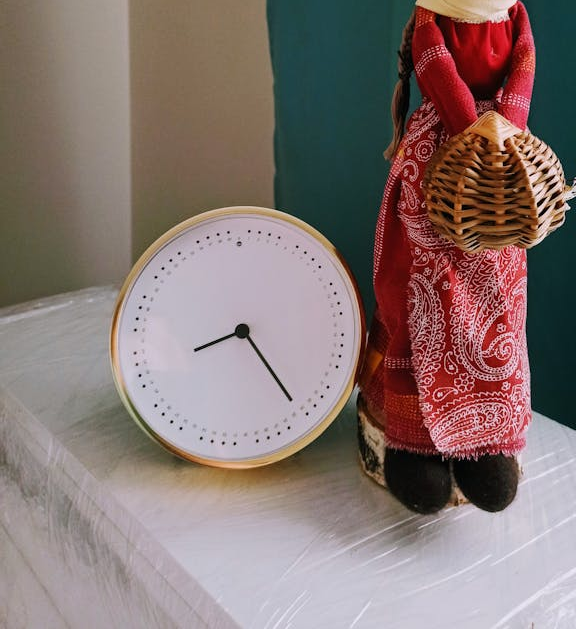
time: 8:24
